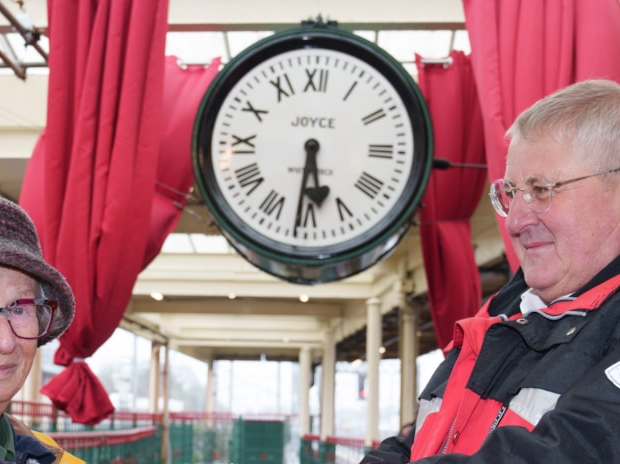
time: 5:30
